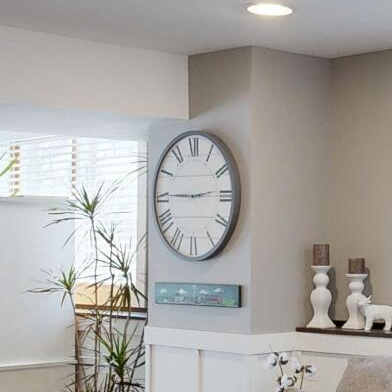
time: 2:45
